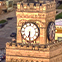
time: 6:30
